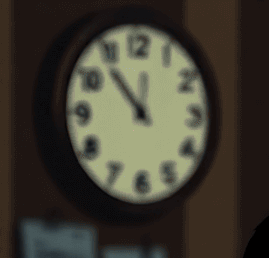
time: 11:53
